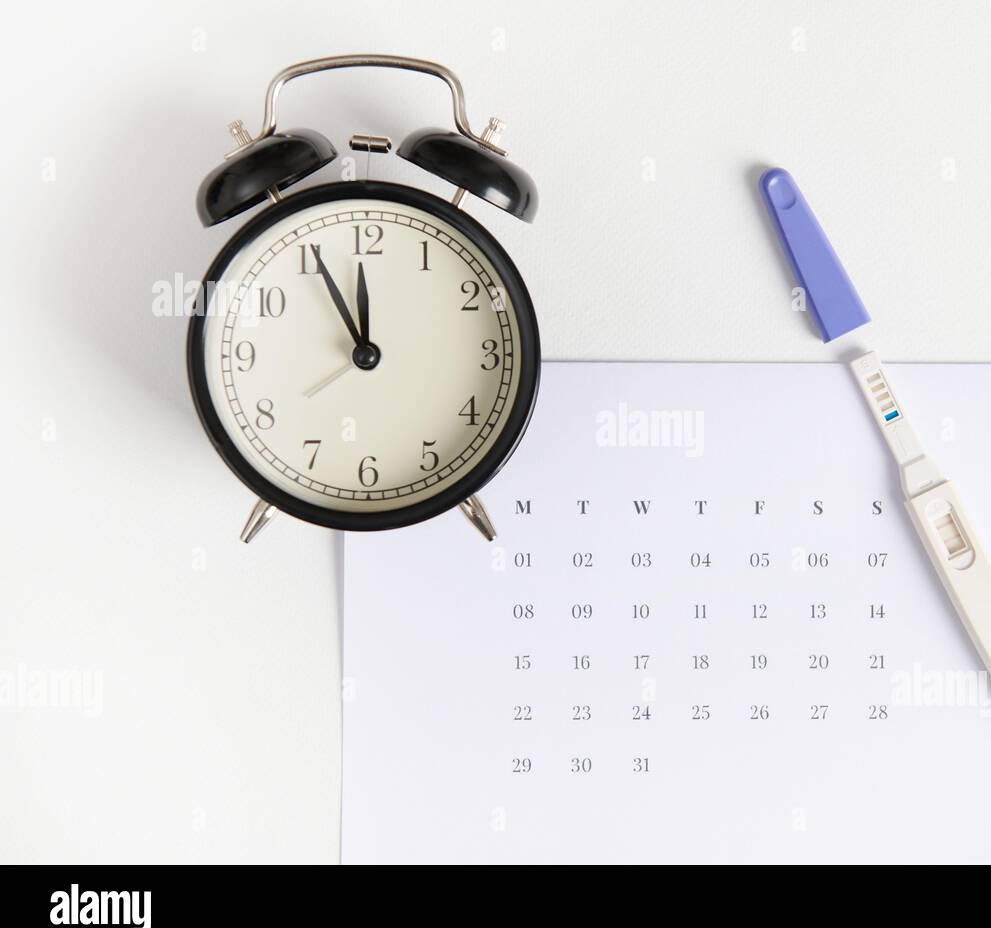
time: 11:55
